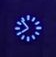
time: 10:39
